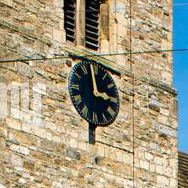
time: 2:58
